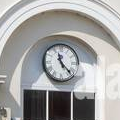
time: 11:22
